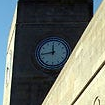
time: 11:43
